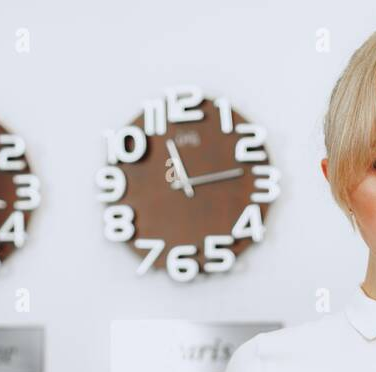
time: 11:13
